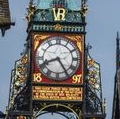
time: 8:24
